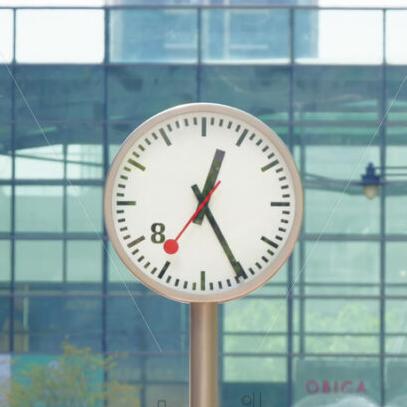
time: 12:25
